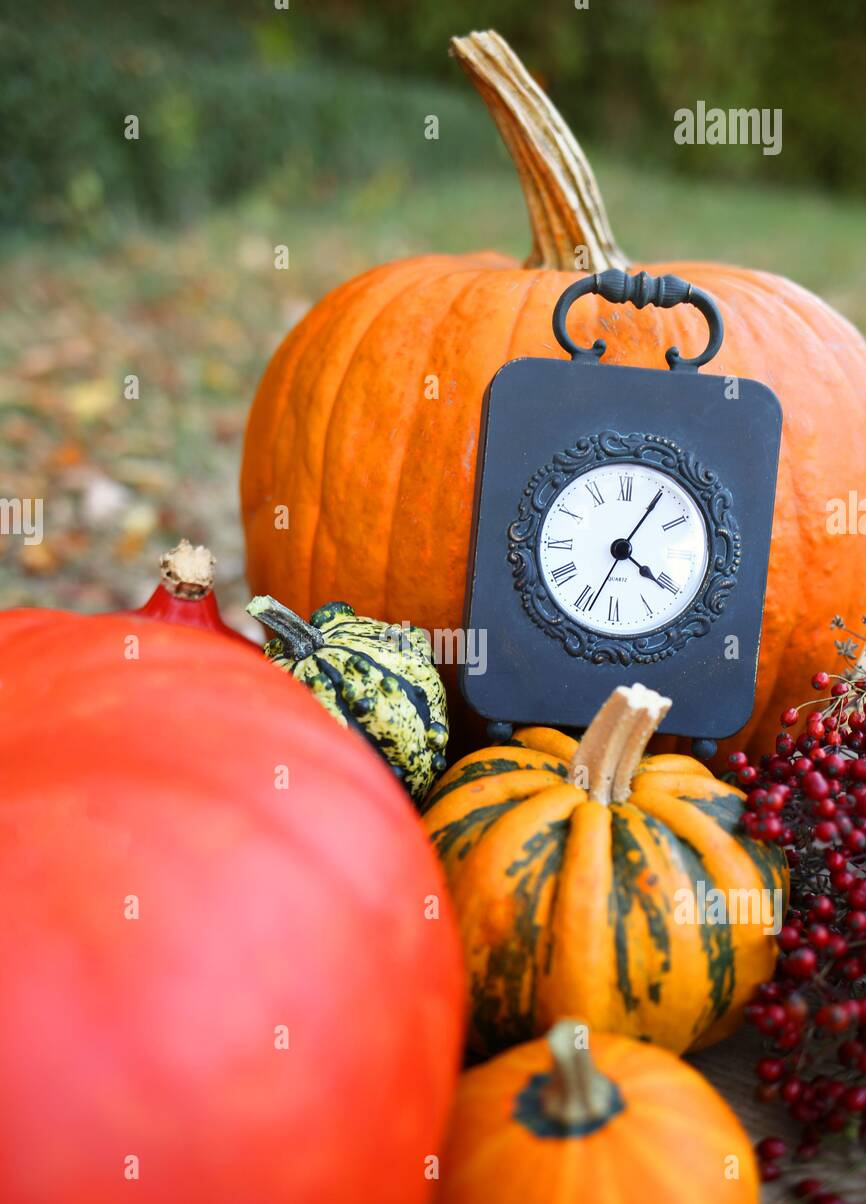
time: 4:04
